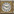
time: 2:48
